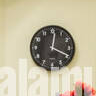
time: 12:19
